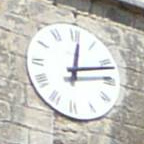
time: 12:11
